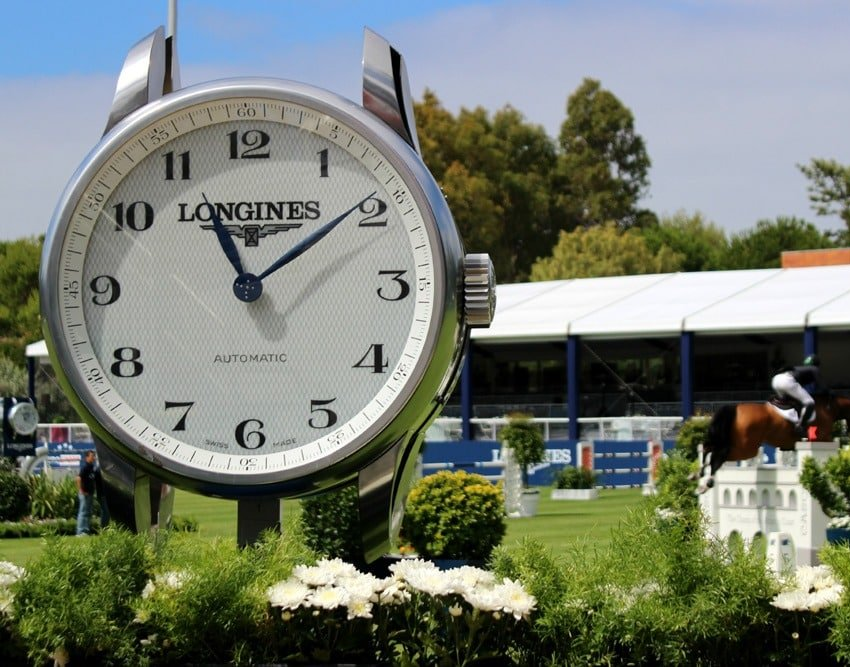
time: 11:09
